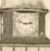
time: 2:48
